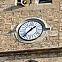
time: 1:36
